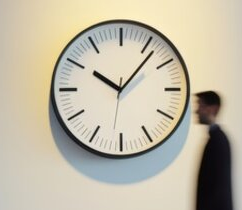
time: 10:06
